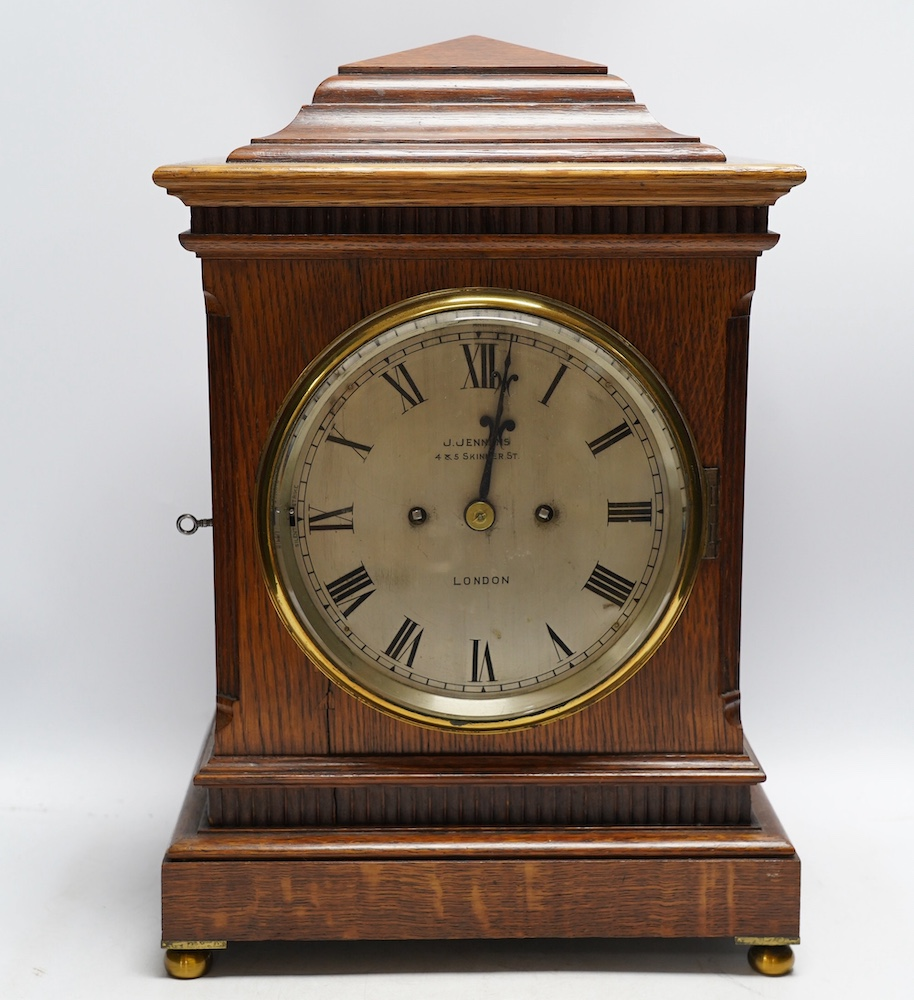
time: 12:01
